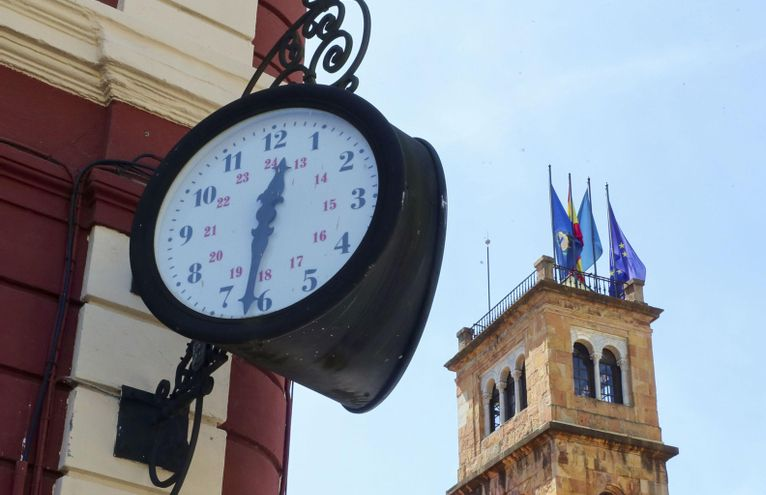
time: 12:31
